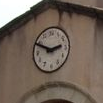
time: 2:49
